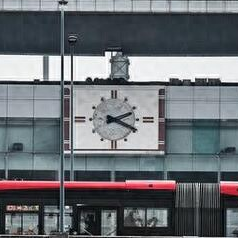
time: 2:19
